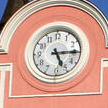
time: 5:14
